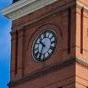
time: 10:34
